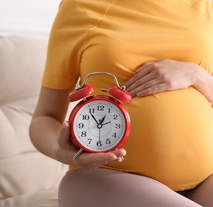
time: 12:53
